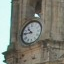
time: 10:45
